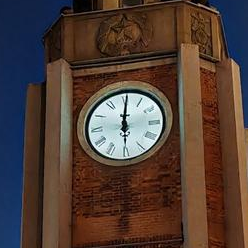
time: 6:00
